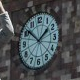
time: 1:51
